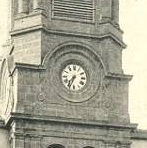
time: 7:33
